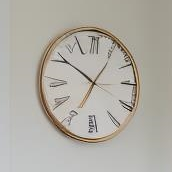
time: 6:50
